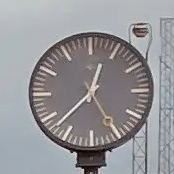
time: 12:37
